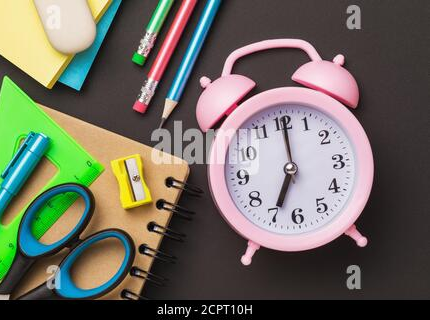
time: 7:00
